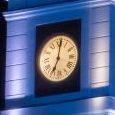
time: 7:01
